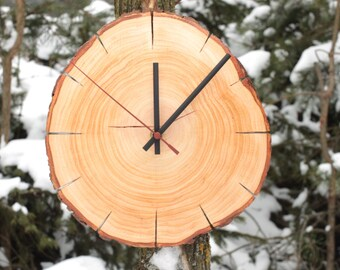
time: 12:07
